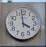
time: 3:58
